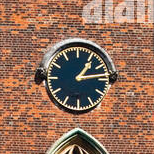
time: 1:13
